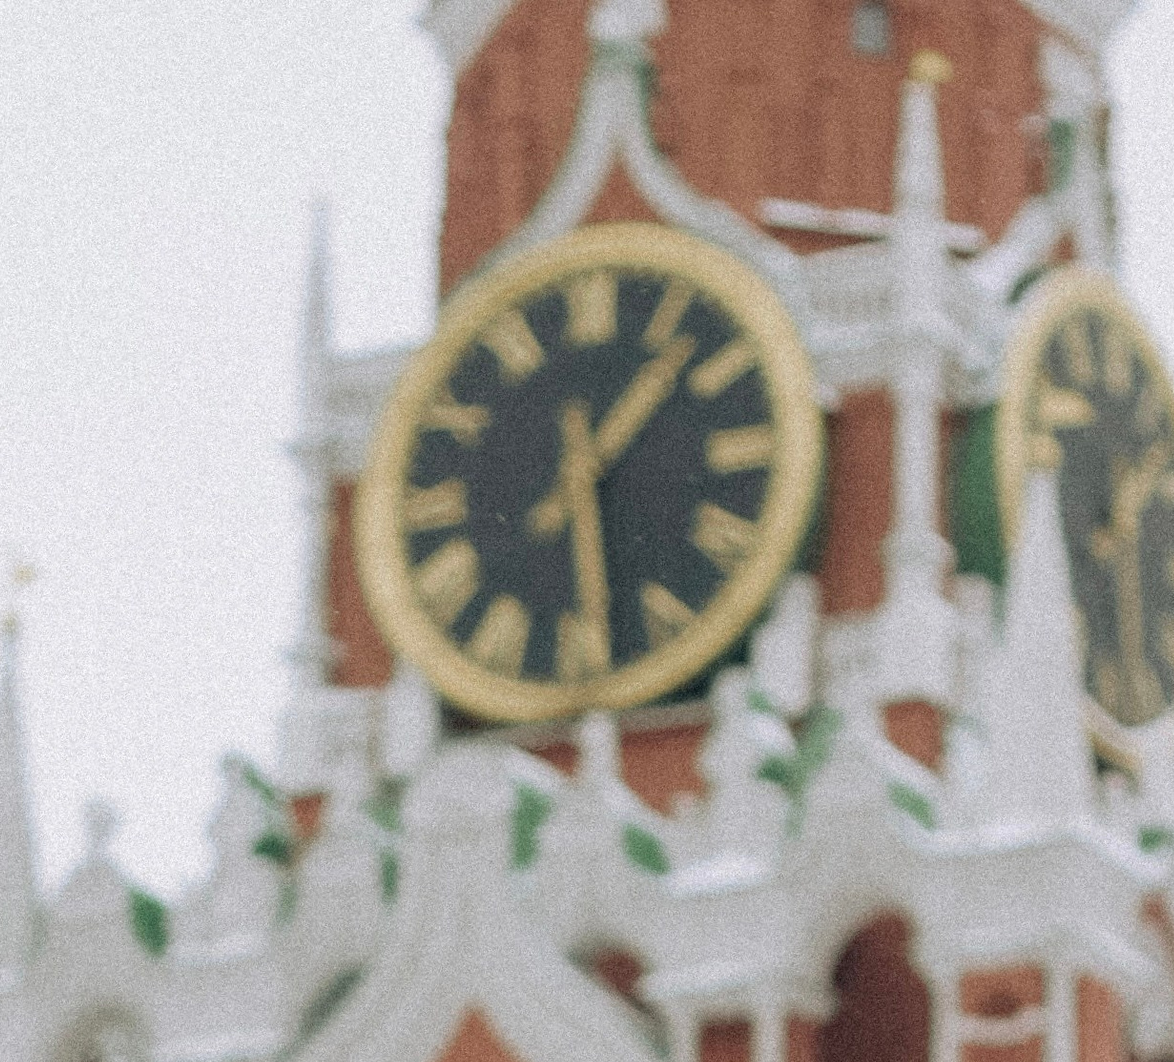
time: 1:28
